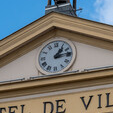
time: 1:13
